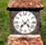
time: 7:22
